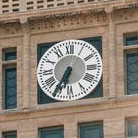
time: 6:35
